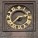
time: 2:38
